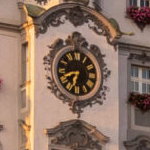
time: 6:41
